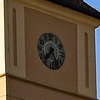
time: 7:25
